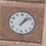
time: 1:08
